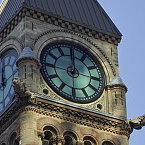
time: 11:59
